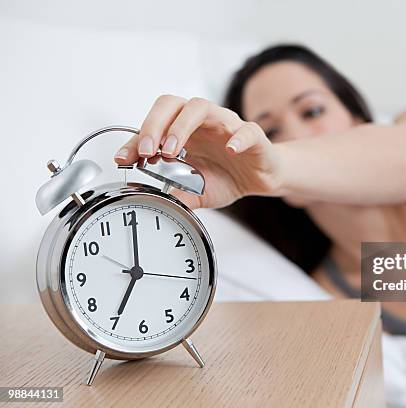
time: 7:00
